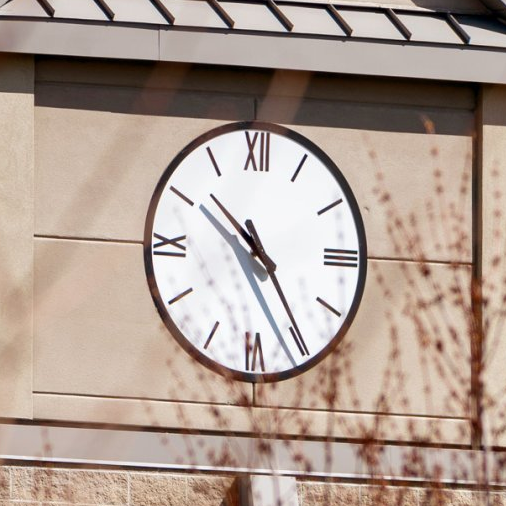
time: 10:24
